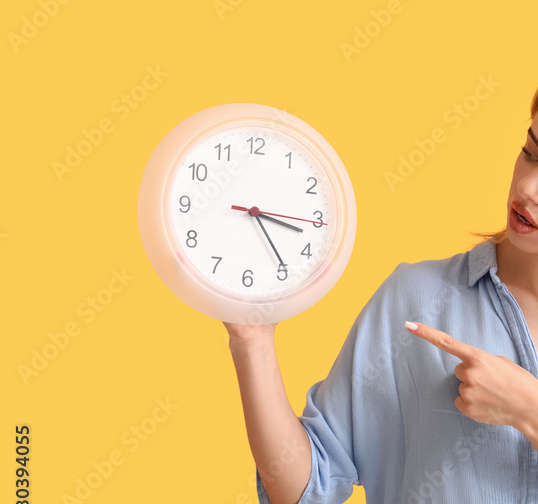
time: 3:24
